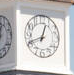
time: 12:41
